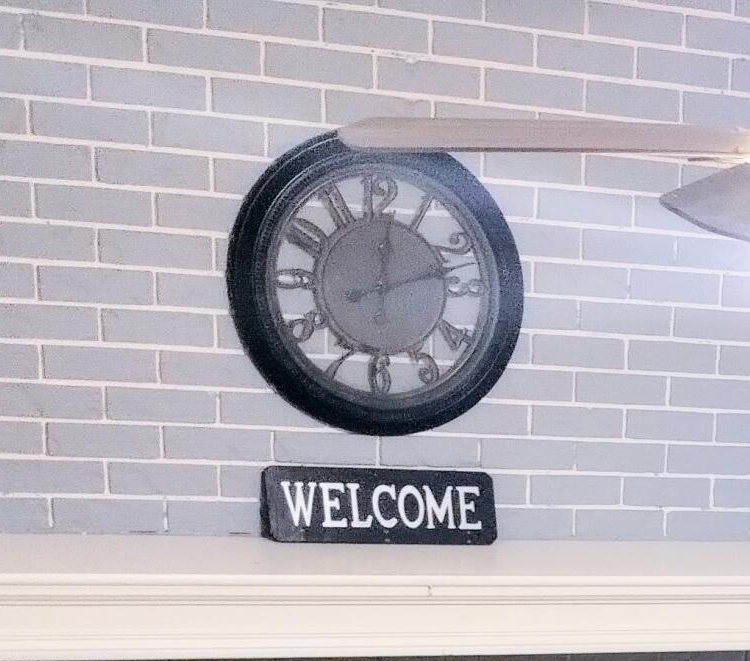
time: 12:12
